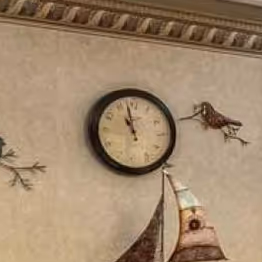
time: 10:57
